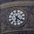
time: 6:21
